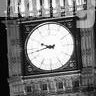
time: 9:42
